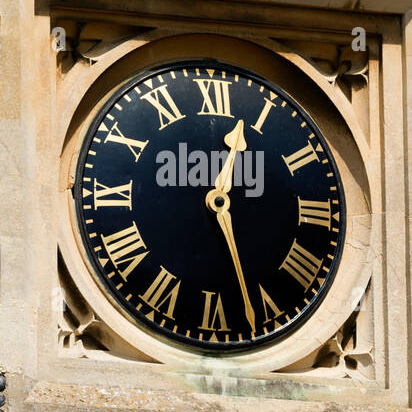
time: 12:26
